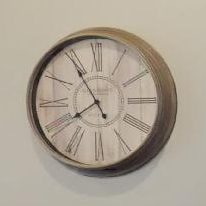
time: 7:54
